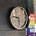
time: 9:28
